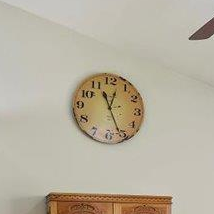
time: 12:26
